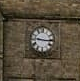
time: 9:15
